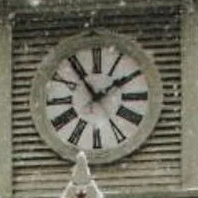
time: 1:54
